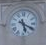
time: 5:19
